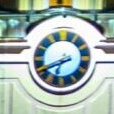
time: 6:41
